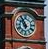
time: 5:54
